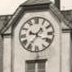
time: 9:36
